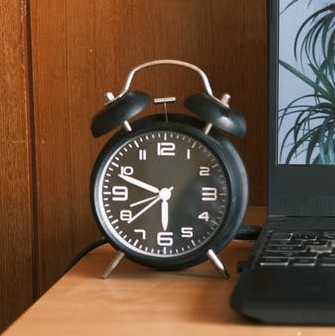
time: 5:48
